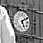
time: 5:09
